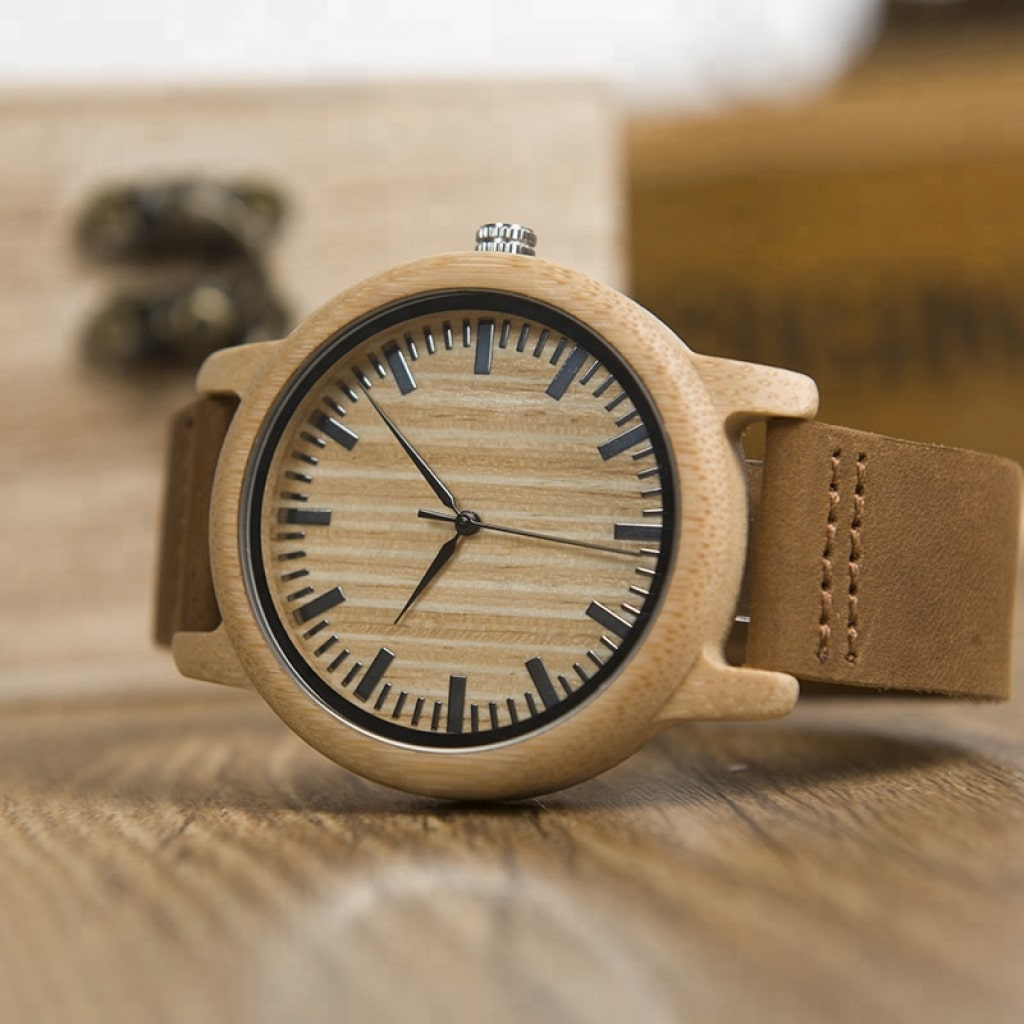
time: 6:52
